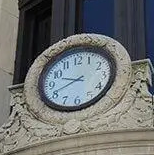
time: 9:41
